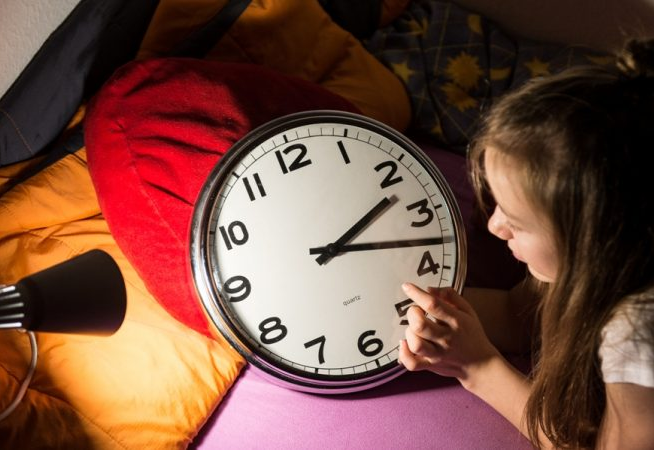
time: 2:18
